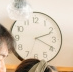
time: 2:19
